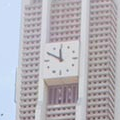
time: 11:49
